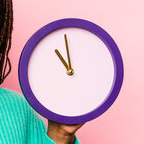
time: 10:58
